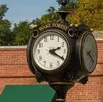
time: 2:20
